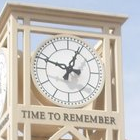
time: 12:48
